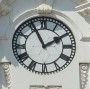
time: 1:55
